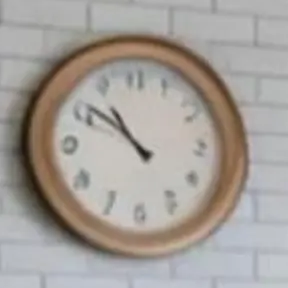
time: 10:51
